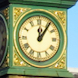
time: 12:06
